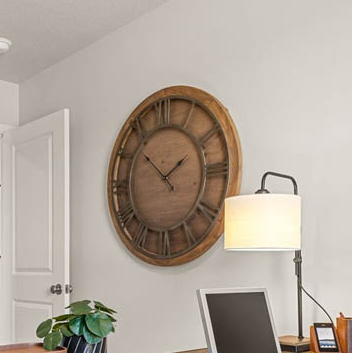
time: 1:52
